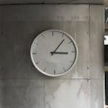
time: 3:06
